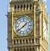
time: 1:39
